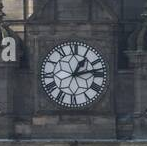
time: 1:12
